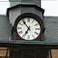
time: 6:53
